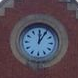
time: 12:05
